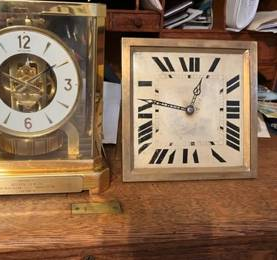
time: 12:46
